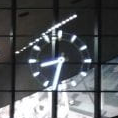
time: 8:32
